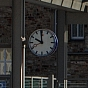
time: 9:59
